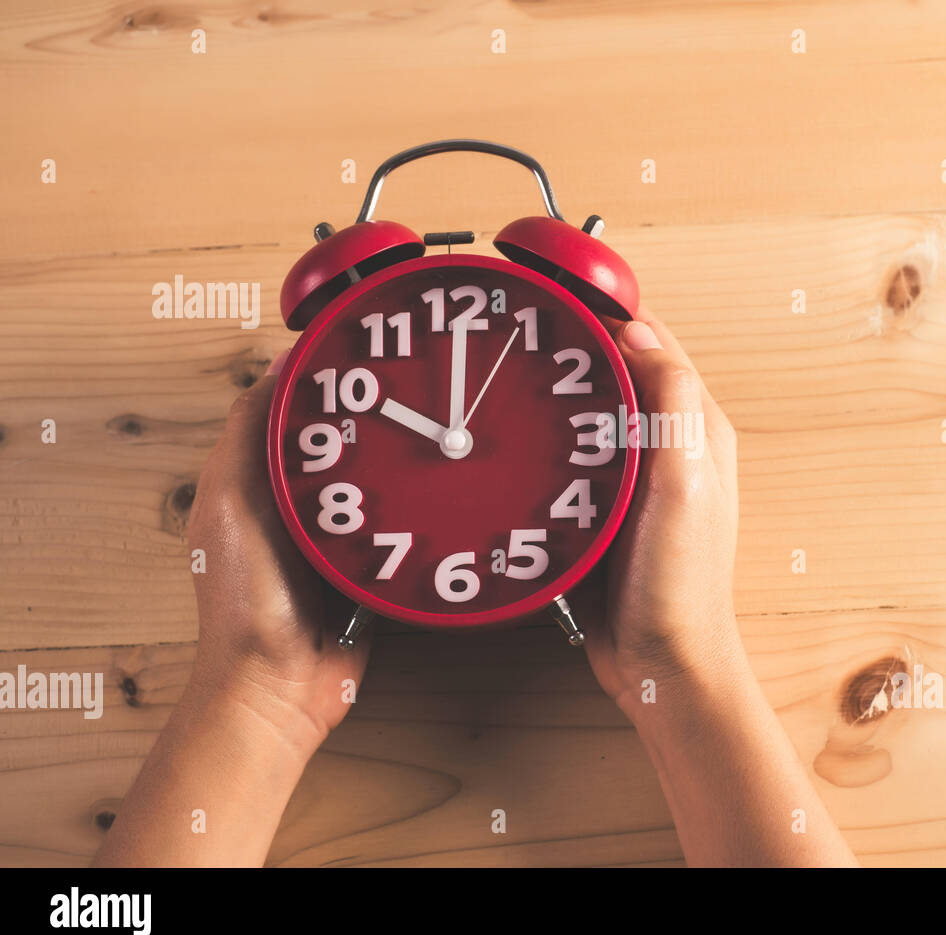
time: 10:00
